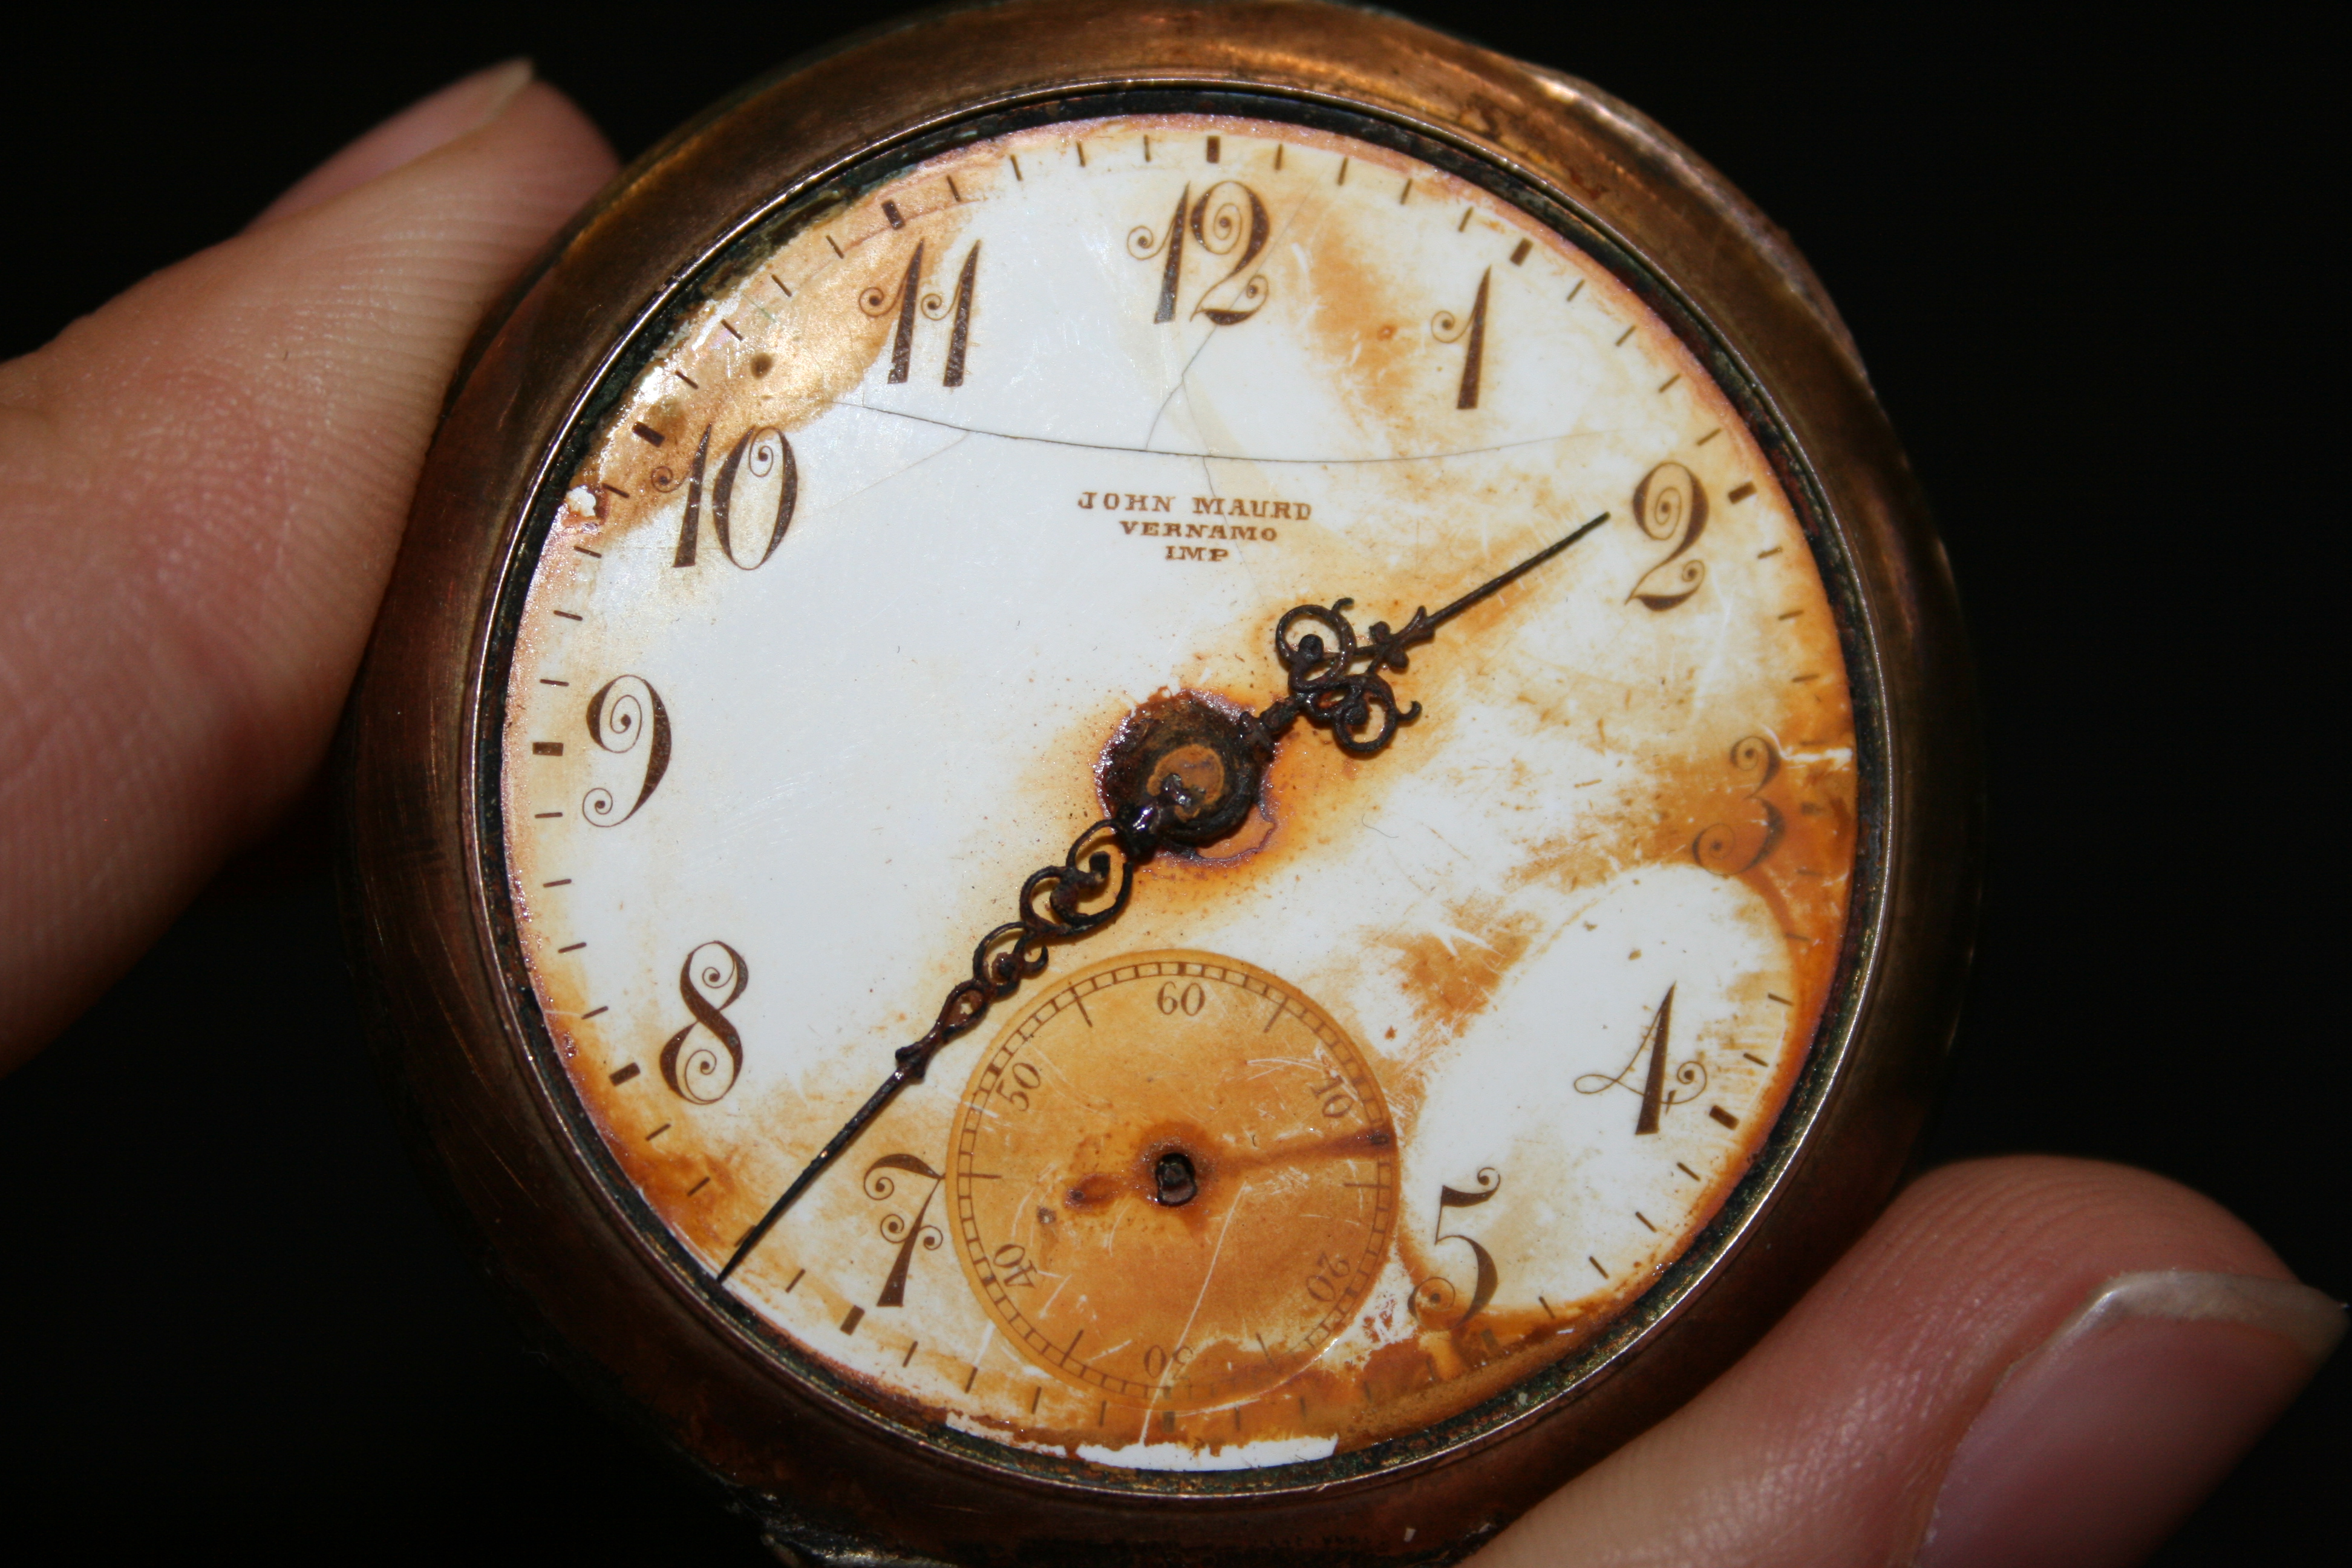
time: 1:36
